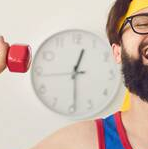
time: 12:29
